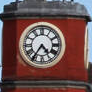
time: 4:35
